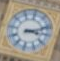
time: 3:11
